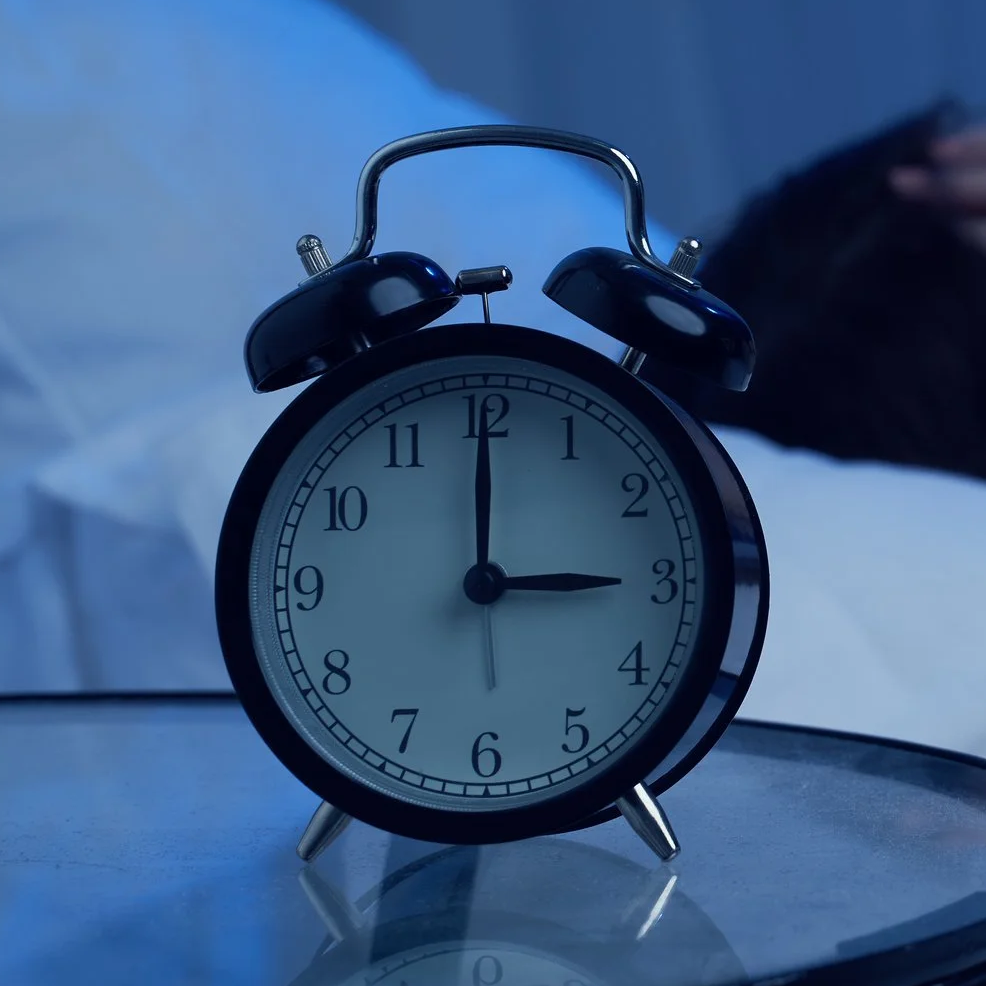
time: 3:00
